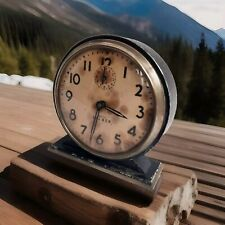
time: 3:32
